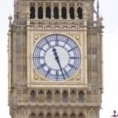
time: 11:26
